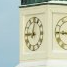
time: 9:01
